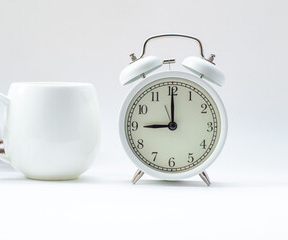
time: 9:00
